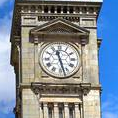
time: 11:27
